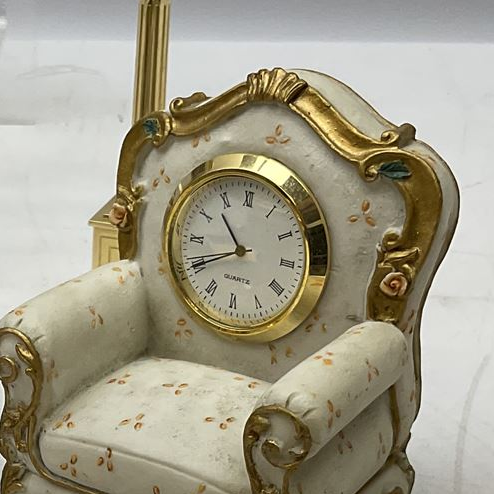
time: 10:40
